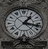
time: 1:16
